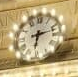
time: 6:12
